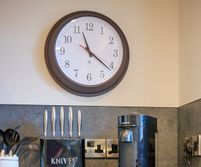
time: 11:21
